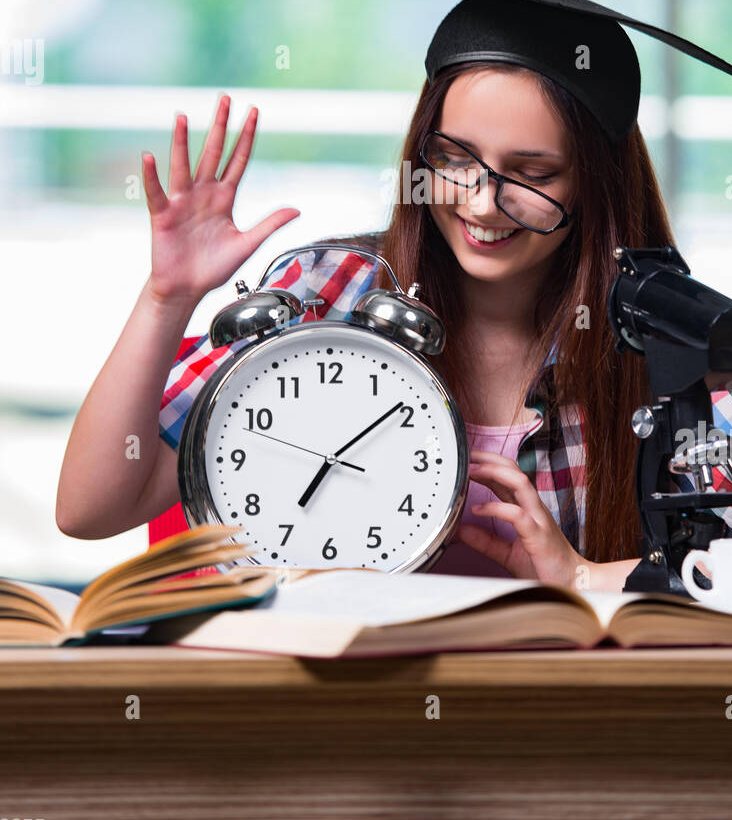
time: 7:08
